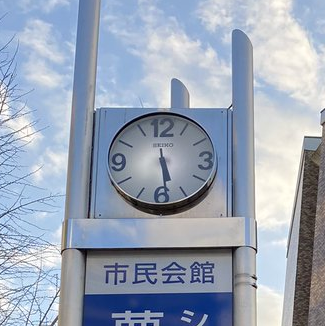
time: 5:29
